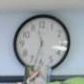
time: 11:32
